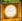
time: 9:12
